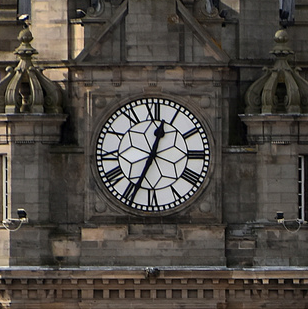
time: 12:34
